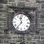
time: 11:36
